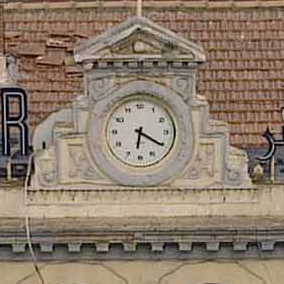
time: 6:20
